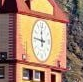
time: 11:46
